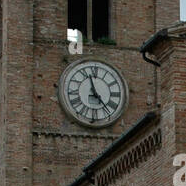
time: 11:23
